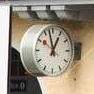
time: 12:57
